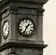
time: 1:33
